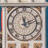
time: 11:12
